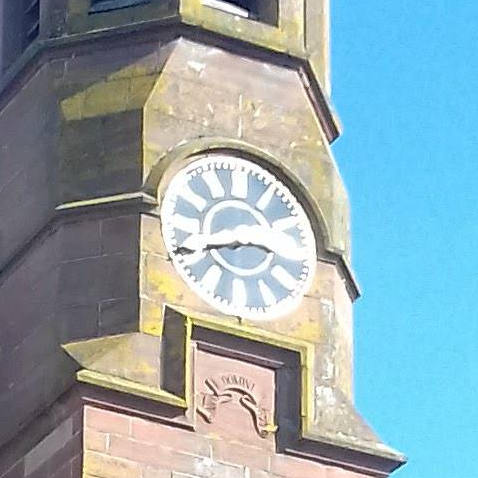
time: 2:40
